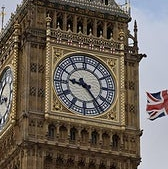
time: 9:23
